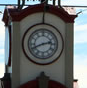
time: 2:41
